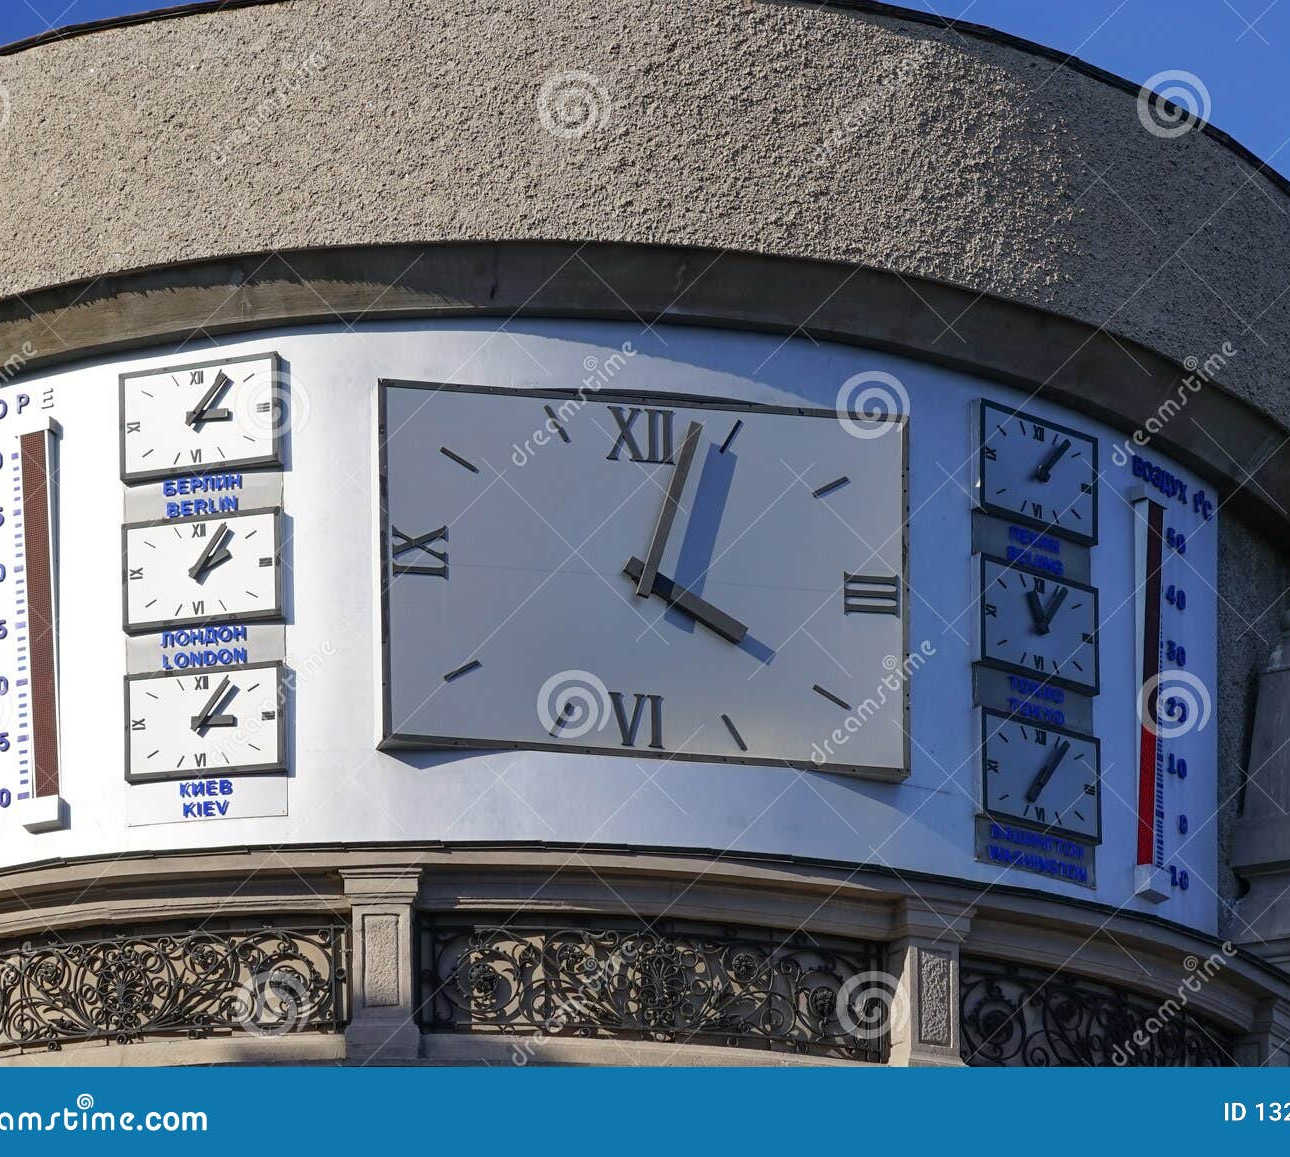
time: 4:03
